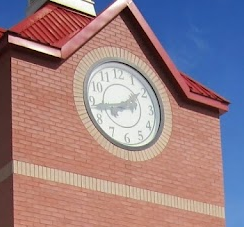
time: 1:43
